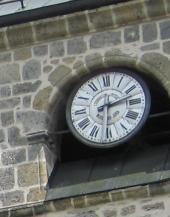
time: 2:30
